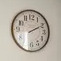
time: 2:10
